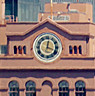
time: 12:18
